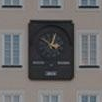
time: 2:50
